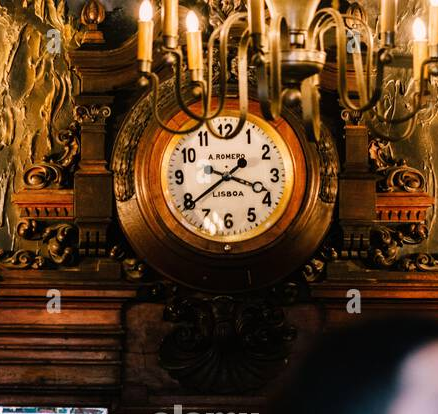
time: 3:39
